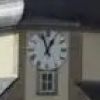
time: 12:57
